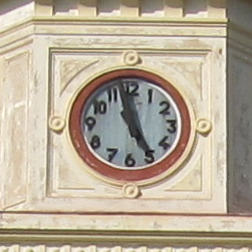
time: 4:57
